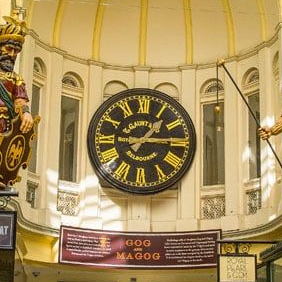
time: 1:14
